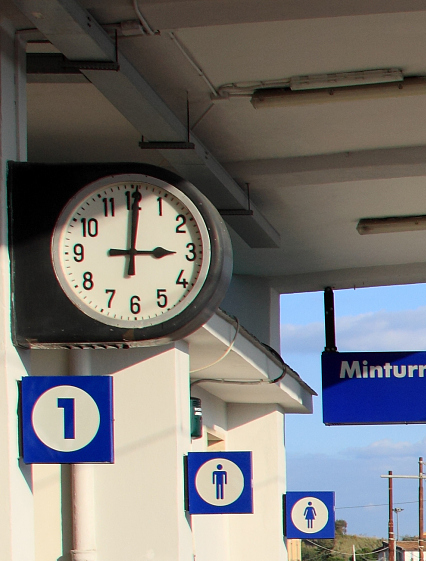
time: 3:00
